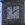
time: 1:59
